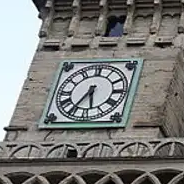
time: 5:35
